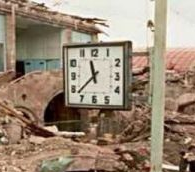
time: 11:37
